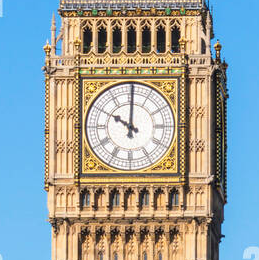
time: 10:00
